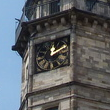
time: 12:10
